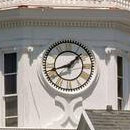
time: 1:42
